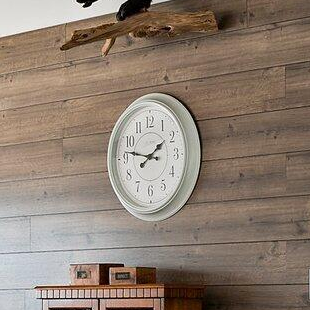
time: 1:46
